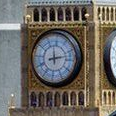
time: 8:12
